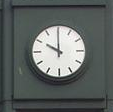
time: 9:59
